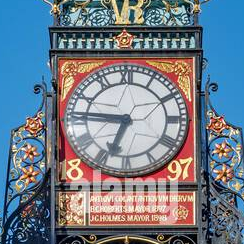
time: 6:45
